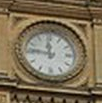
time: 11:46
